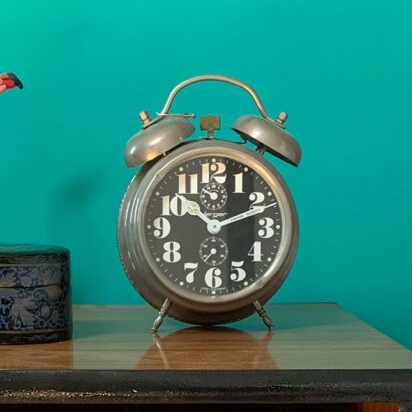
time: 10:11
